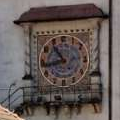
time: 10:42
